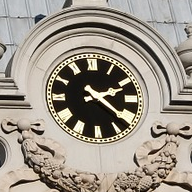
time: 2:21
